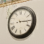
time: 3:14
